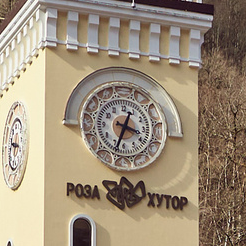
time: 3:34
